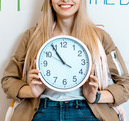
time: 10:54
